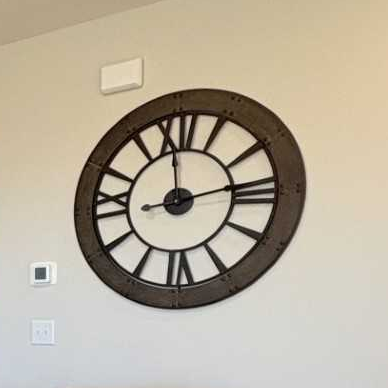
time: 12:13
